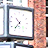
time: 10:36
